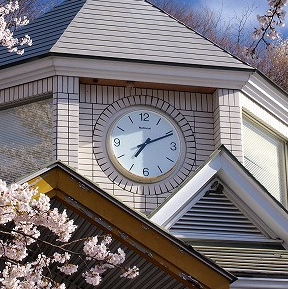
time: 7:10
